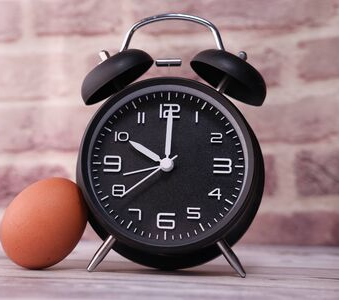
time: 10:00
